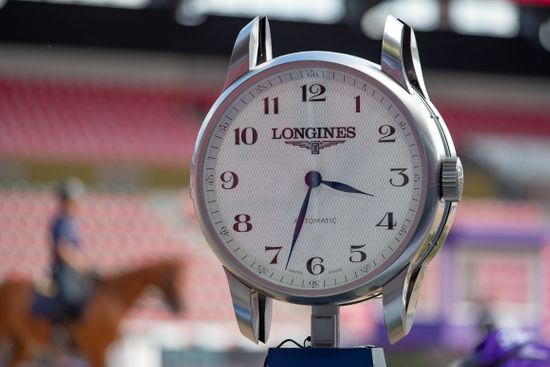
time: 3:33
